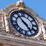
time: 4:54
